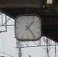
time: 1:23
